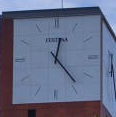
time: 12:23
